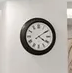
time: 4:09
